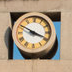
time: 3:50
